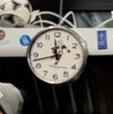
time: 11:42
